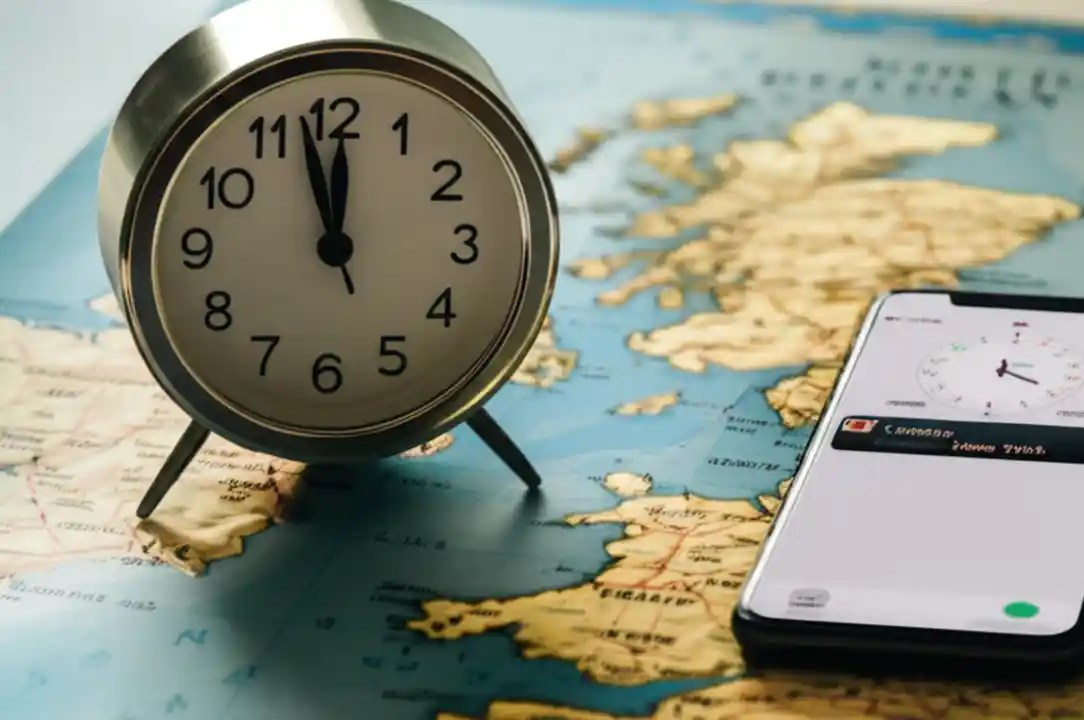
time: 11:57
